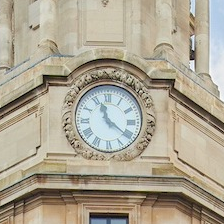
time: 11:21
